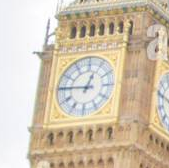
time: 12:45
